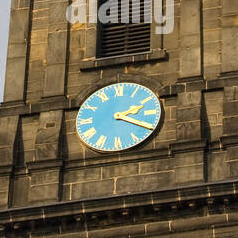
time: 2:19
